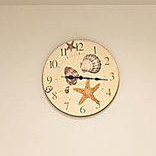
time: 9:16
